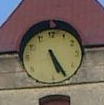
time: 5:25
